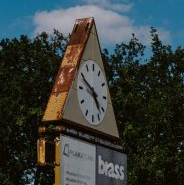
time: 4:49
